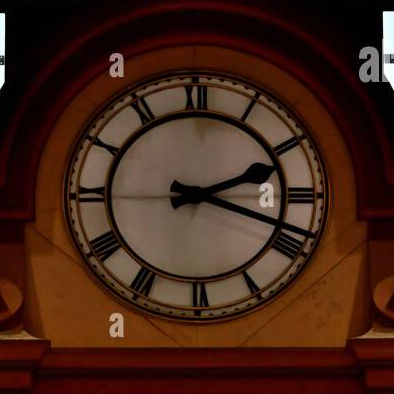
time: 2:18
